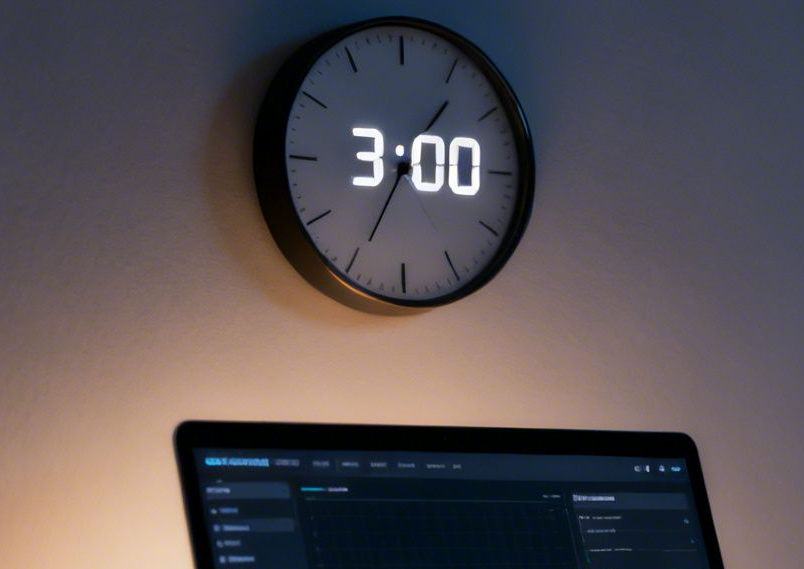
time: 3:34
